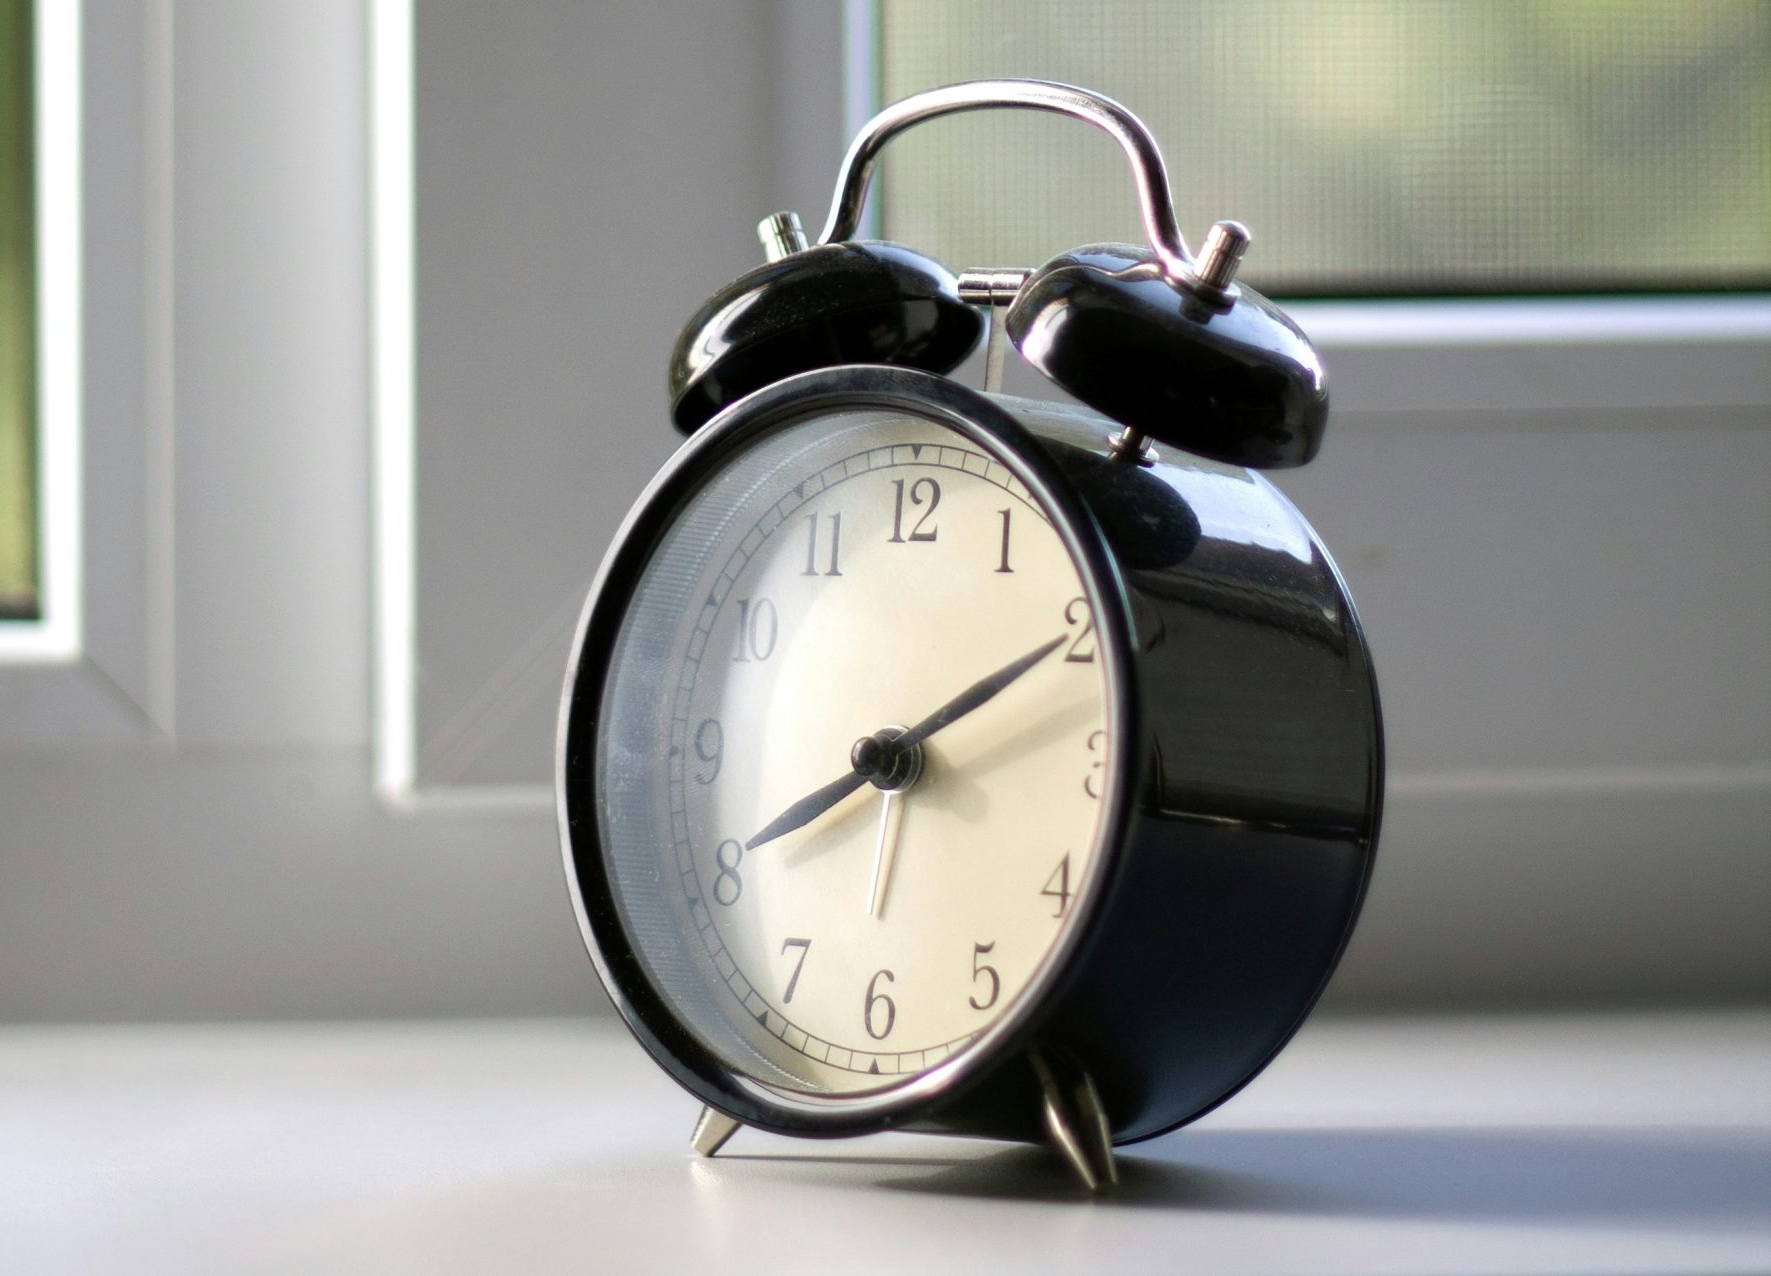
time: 8:10
